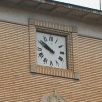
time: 9:51
